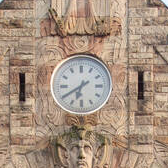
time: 6:39
